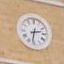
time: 2:32
